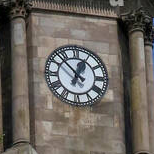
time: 12:52
